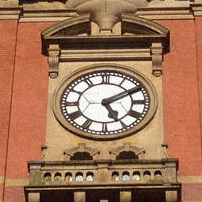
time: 5:10
